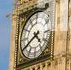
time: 4:40
